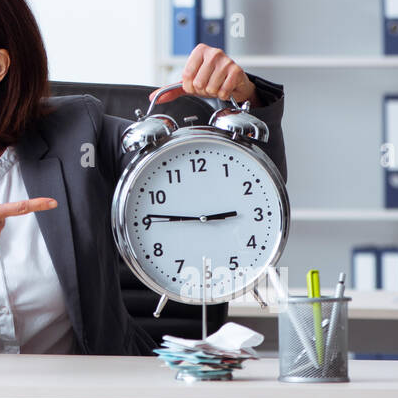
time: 2:46
